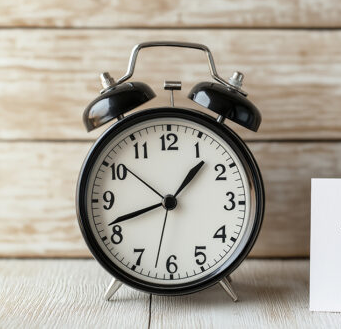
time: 1:41
